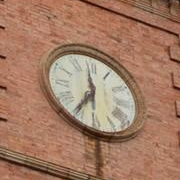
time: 11:35
